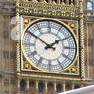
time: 1:50
